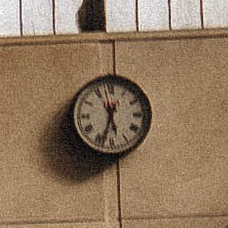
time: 5:32
